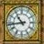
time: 10:43
